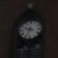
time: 9:33
